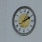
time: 2:04
